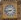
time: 8:43
